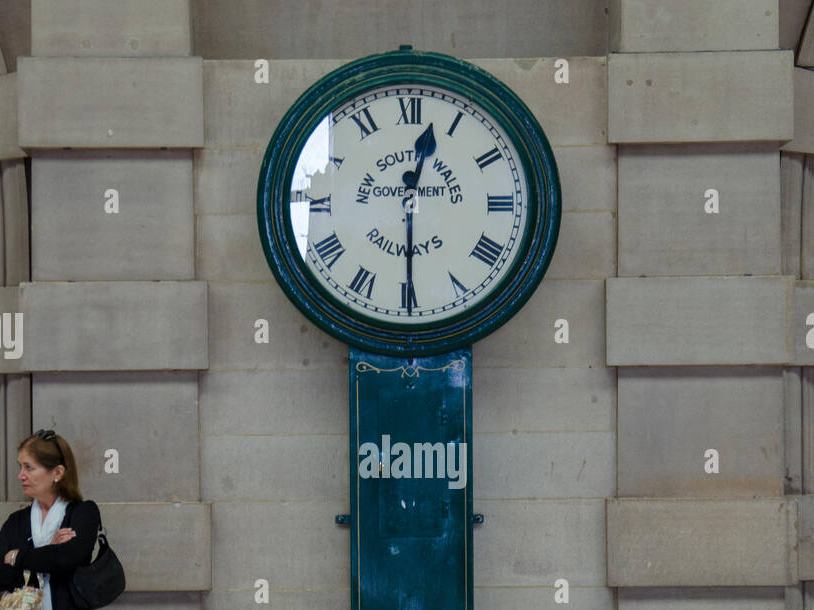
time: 12:29
